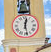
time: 12:28
